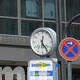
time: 12:23
